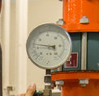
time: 4:46
